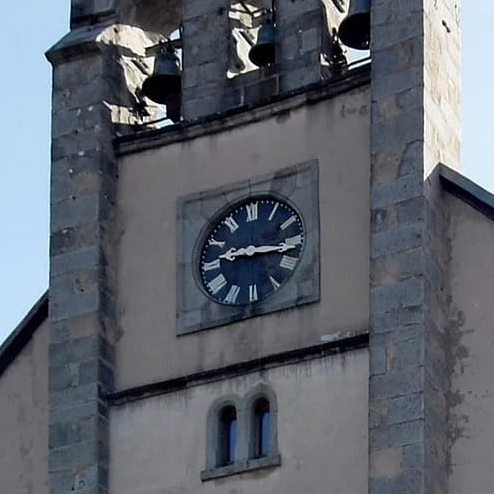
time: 9:17
